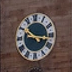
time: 10:16
